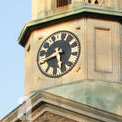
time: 8:27
